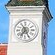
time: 7:25
